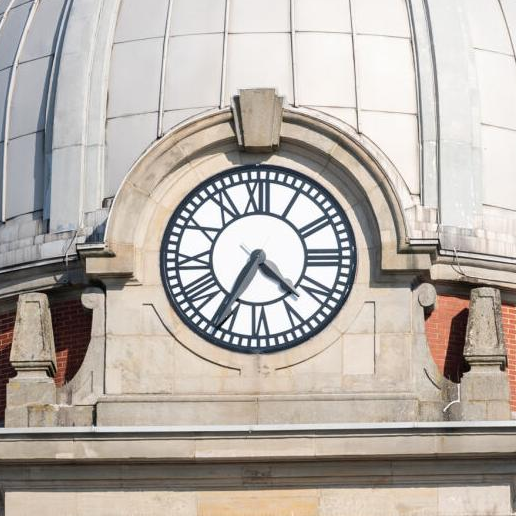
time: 4:35
